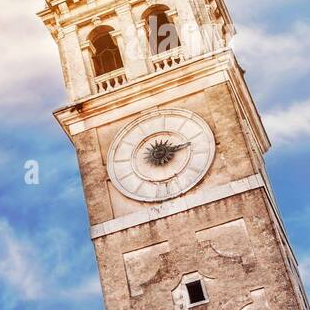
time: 11:12
